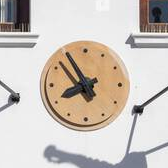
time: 7:54
